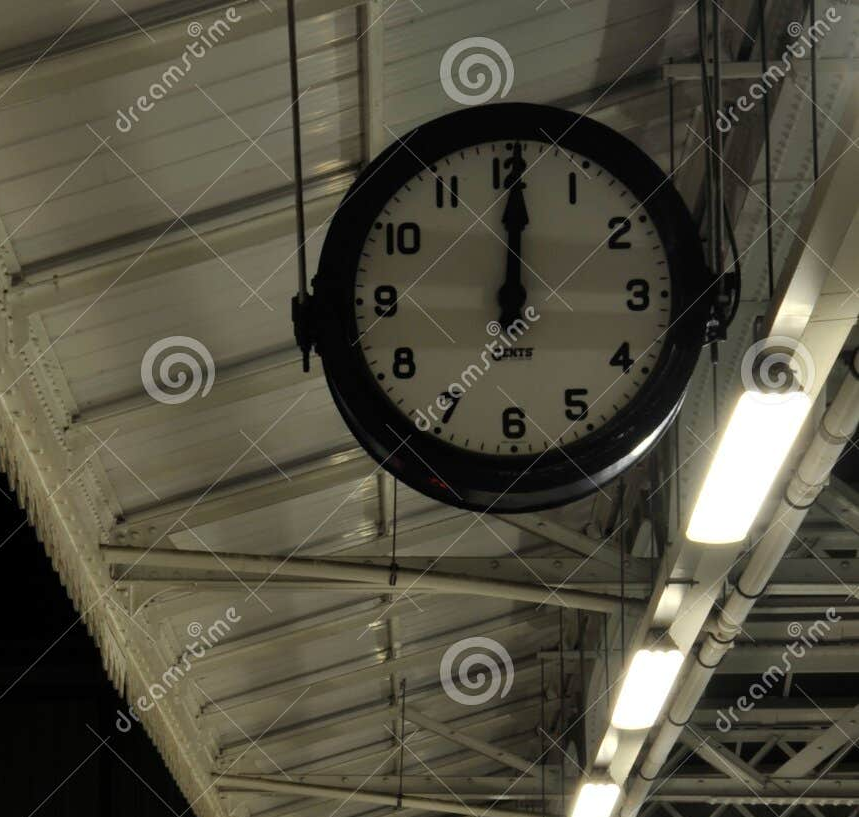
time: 12:00
